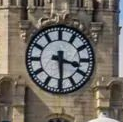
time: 3:29
